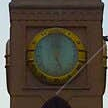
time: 12:26
